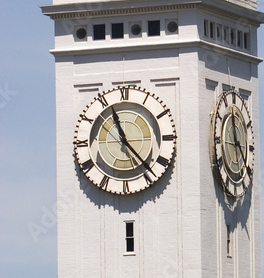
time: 11:22
